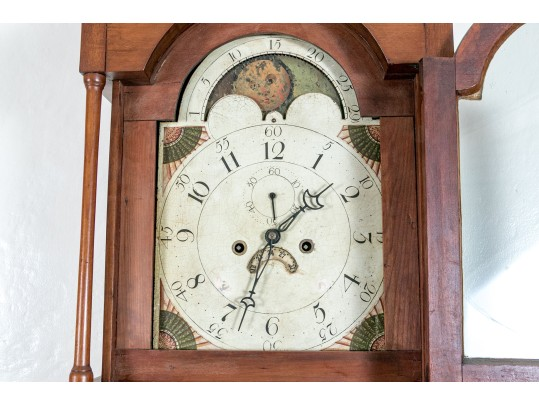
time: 1:33
